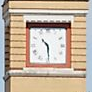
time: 10:28
